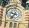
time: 9:36
